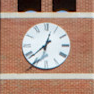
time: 12:38
